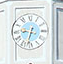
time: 3:32
